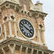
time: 3:48
